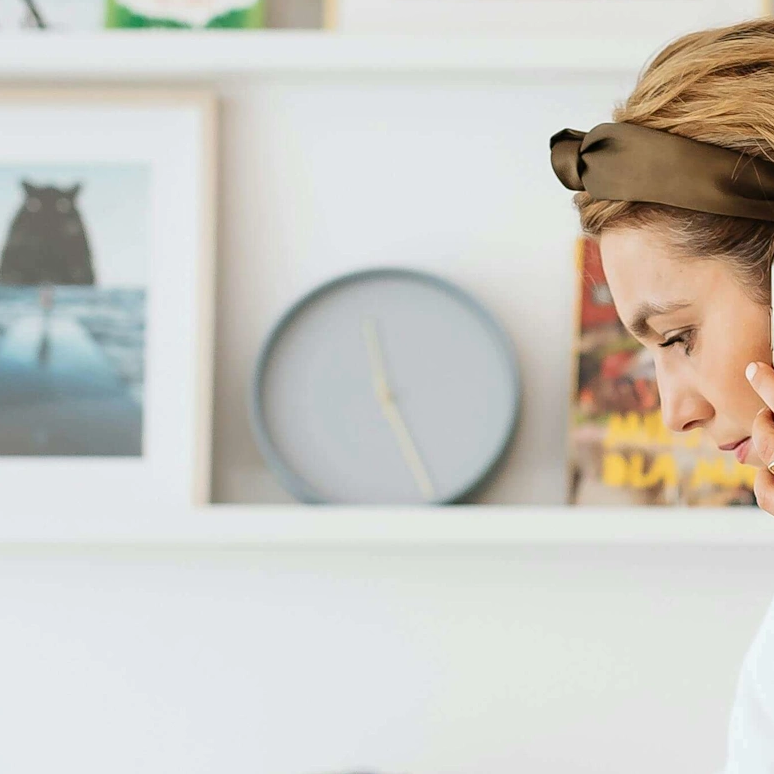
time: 11:25
